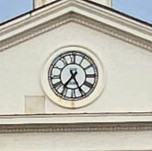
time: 7:25
